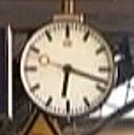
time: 6:18
